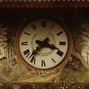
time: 3:37
